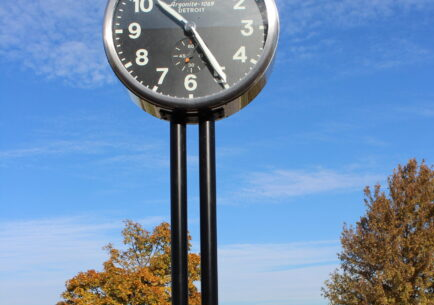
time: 10:24
